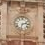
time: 2:32
